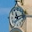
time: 11:12
